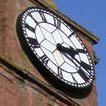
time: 2:18
